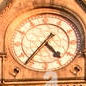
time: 4:36
